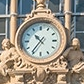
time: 10:36
